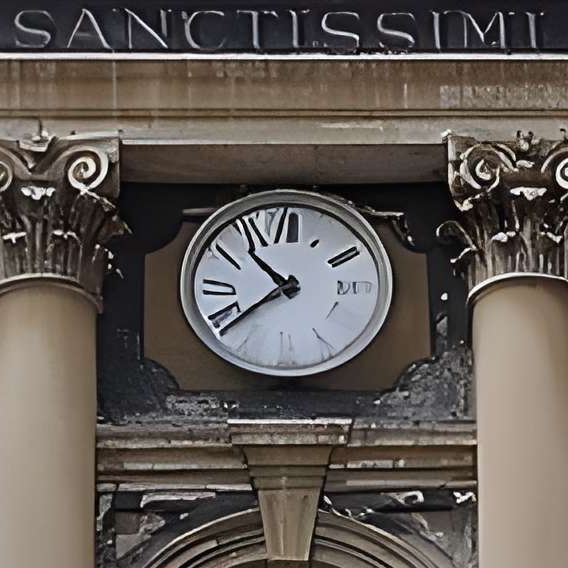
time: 10:38
